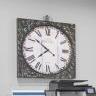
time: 7:51
